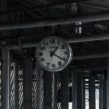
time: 1:20
